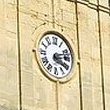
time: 4:12
